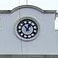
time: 12:53
